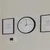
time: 12:13
